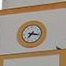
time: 7:17
